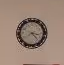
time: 3:22
